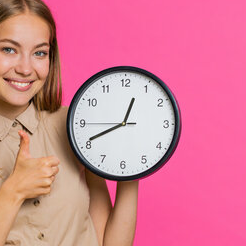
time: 12:40
